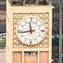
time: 11:43
